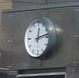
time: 12:12
